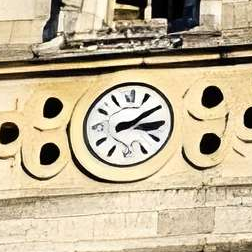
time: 3:09
